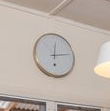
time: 12:13
